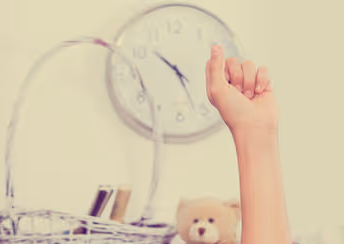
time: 10:26
